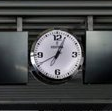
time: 8:04
